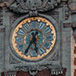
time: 5:35
